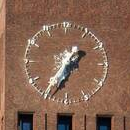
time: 1:35
